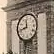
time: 11:42
